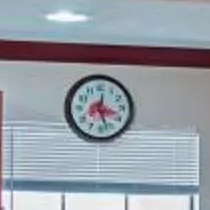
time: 3:27
